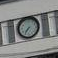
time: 7:36
